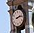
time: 2:13
